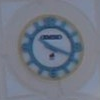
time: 10:18
